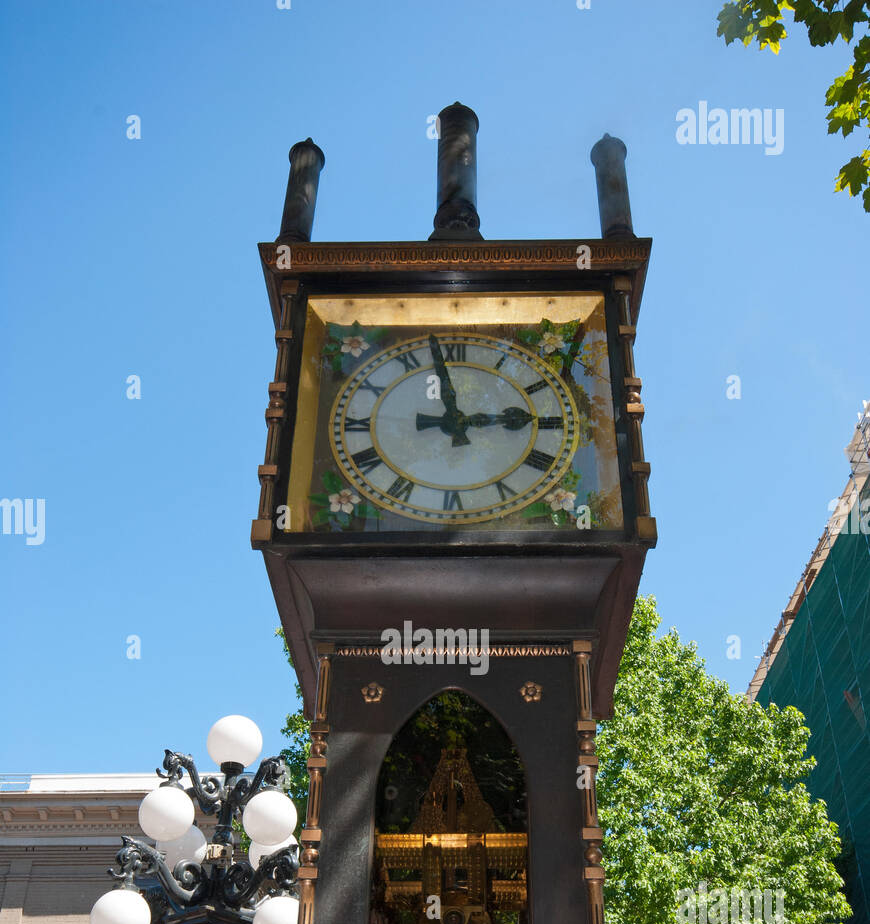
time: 2:58
